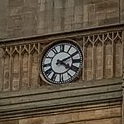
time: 4:10
